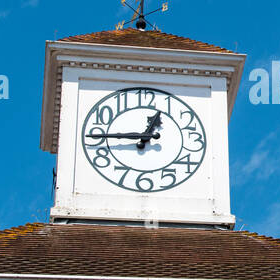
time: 12:45
